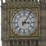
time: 3:05
